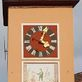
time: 4:03
